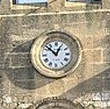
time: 12:52
